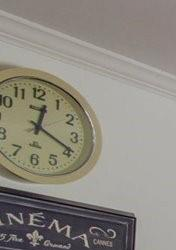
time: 12:19
